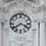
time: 3:38
